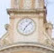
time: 7:07
